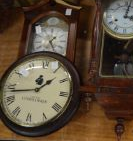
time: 1:43
